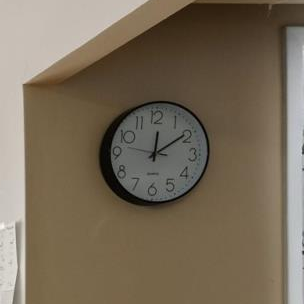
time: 12:09
